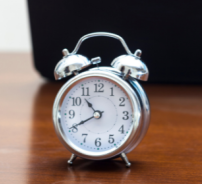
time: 10:40
